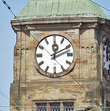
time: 12:11
